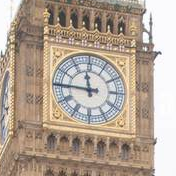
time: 11:45
